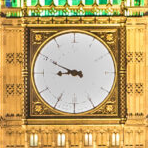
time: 8:49
